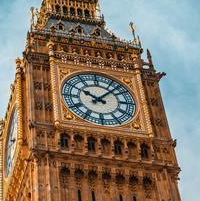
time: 10:07
